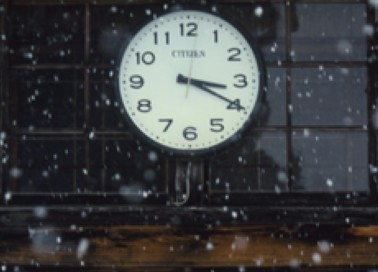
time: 3:19
